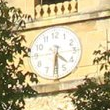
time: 4:29
